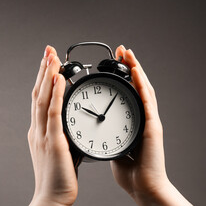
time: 10:07
